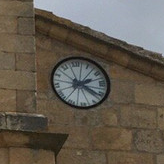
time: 2:21
